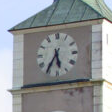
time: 5:35
